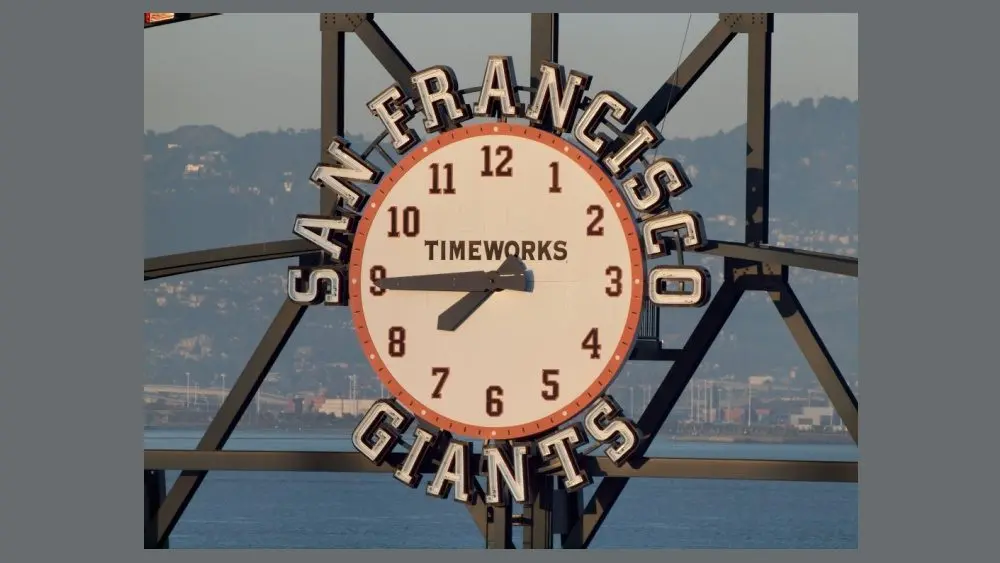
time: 7:44
